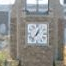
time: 12:36
